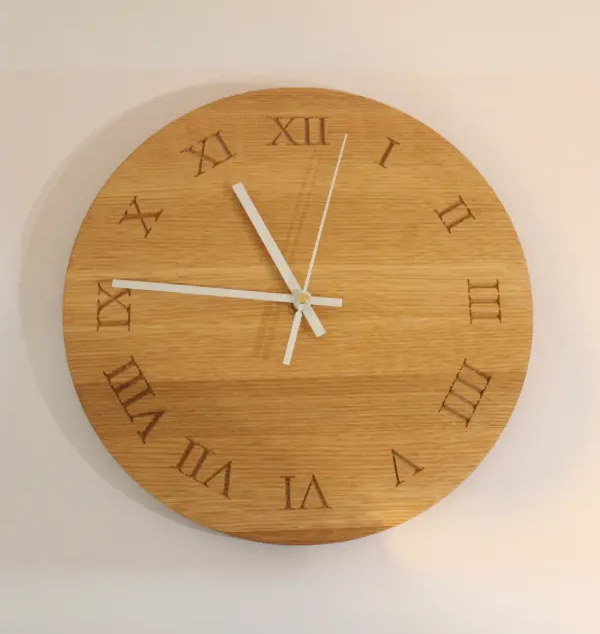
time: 10:45
